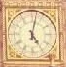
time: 5:02
